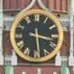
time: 3:29
